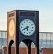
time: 5:40
